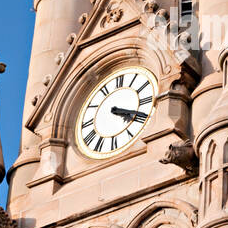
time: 4:19
